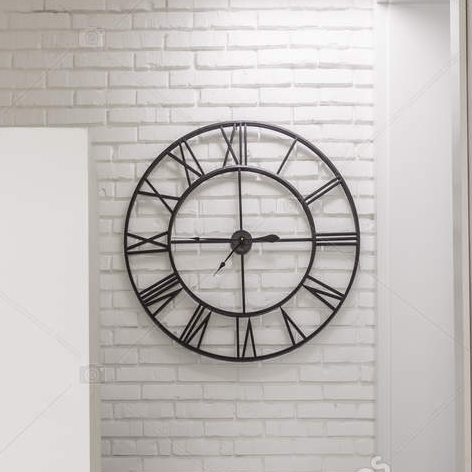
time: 2:45
